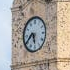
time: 5:38
